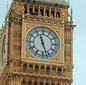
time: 11:26
